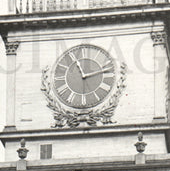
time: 11:12
